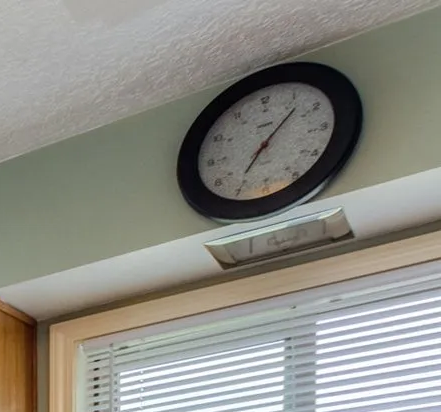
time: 7:07
